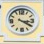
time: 3:20
